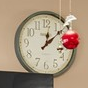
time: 12:07
